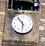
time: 5:53
